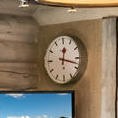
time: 12:17
